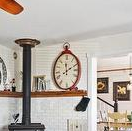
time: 12:10
